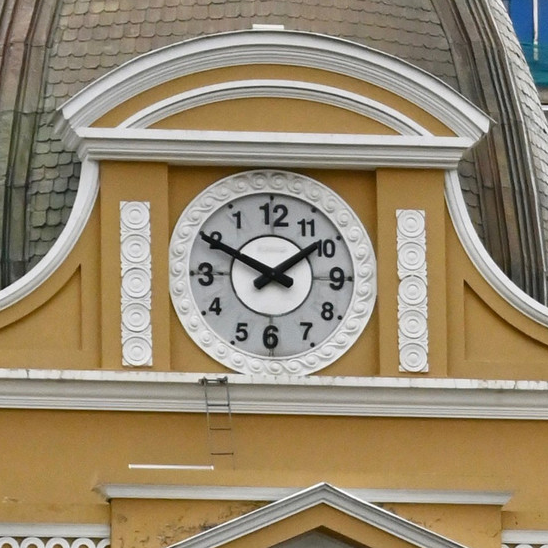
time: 1:49
